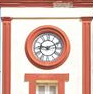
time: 9:11
